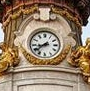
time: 8:38
